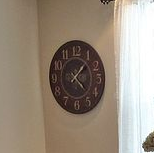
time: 1:22
